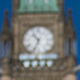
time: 10:33
